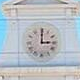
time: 3:00
